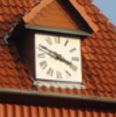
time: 3:48
